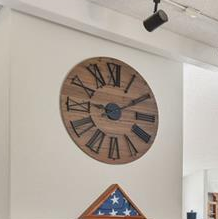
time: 9:10
